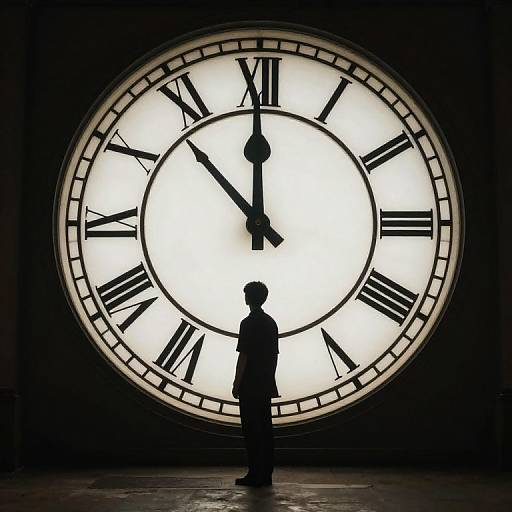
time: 11:52
